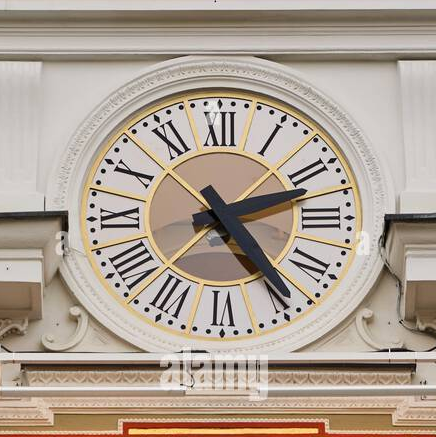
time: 2:24
